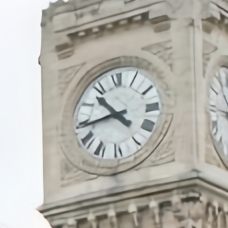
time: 10:43
